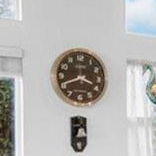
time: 3:41
